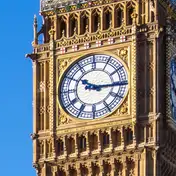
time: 10:15
